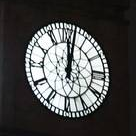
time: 12:01
